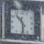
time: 10:28
